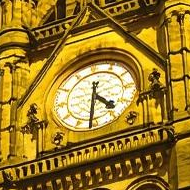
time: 4:31
